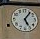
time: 5:06
